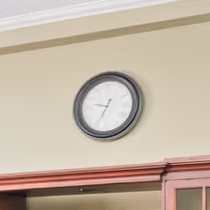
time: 9:34
